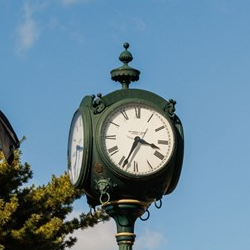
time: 3:34
